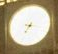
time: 7:17
